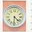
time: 4:31
